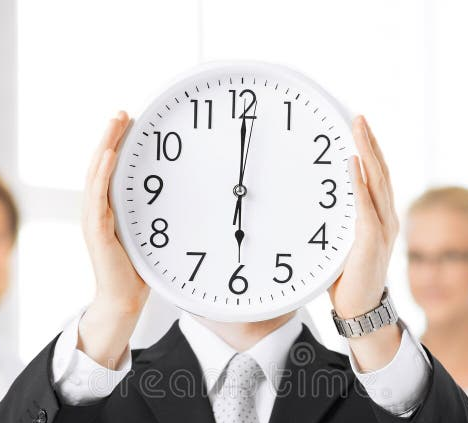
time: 6:00
